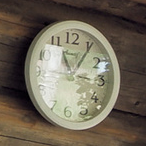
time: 11:05
